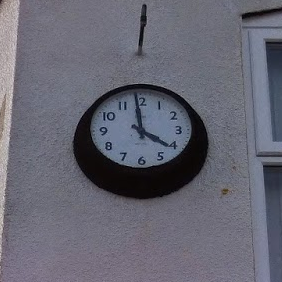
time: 3:59
